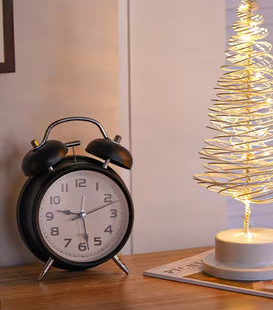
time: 9:28
